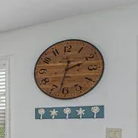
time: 2:32
